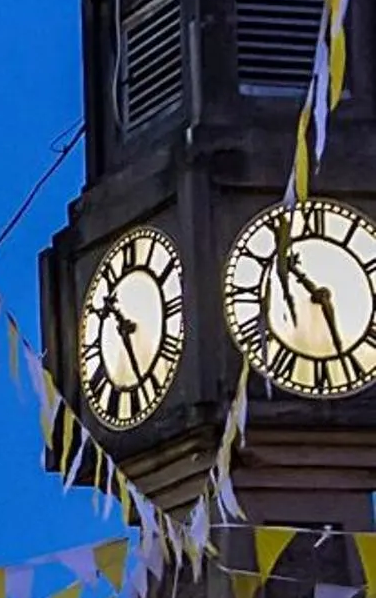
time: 10:26
